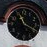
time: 11:19
